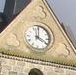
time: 4:00
